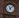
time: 11:07
